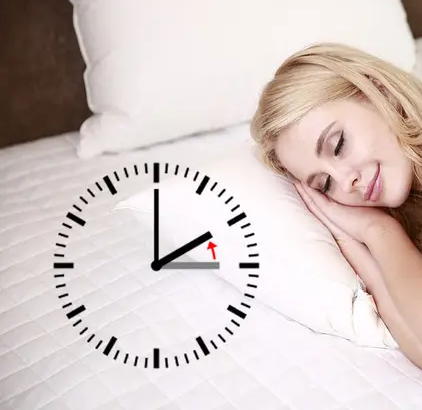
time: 2:00
